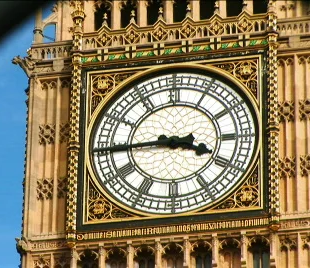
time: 3:44
